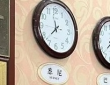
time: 11:37
